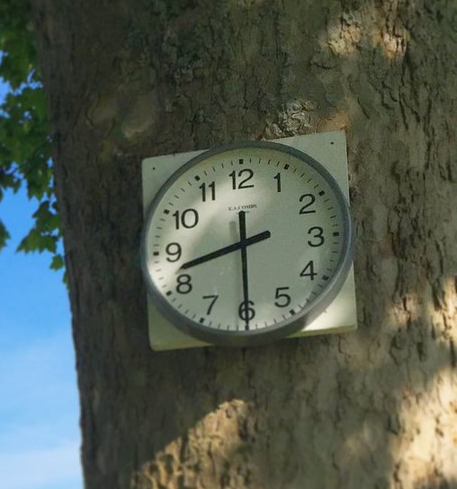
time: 8:29
